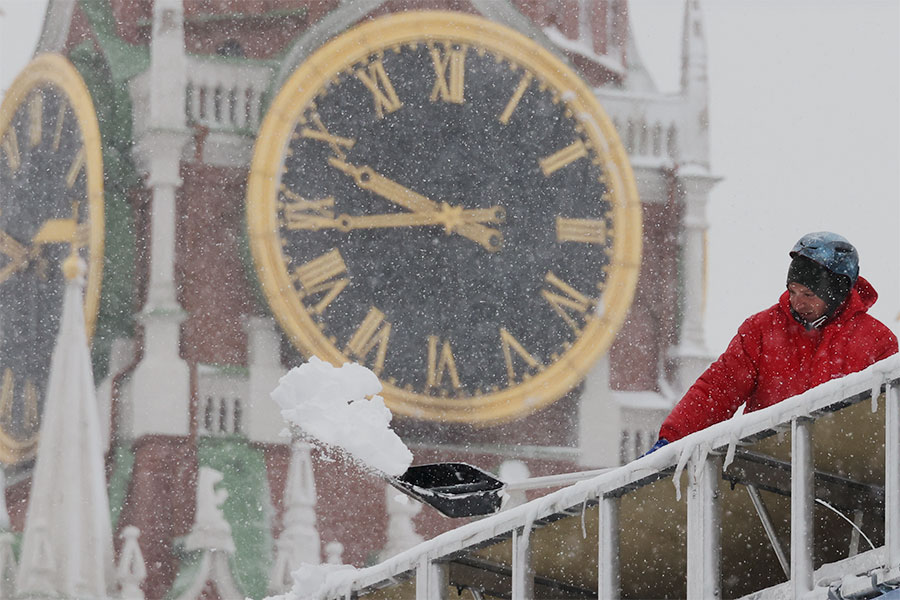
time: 9:44
